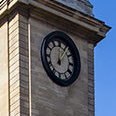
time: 12:06
